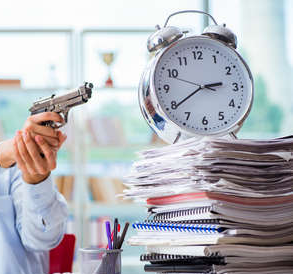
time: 2:39
